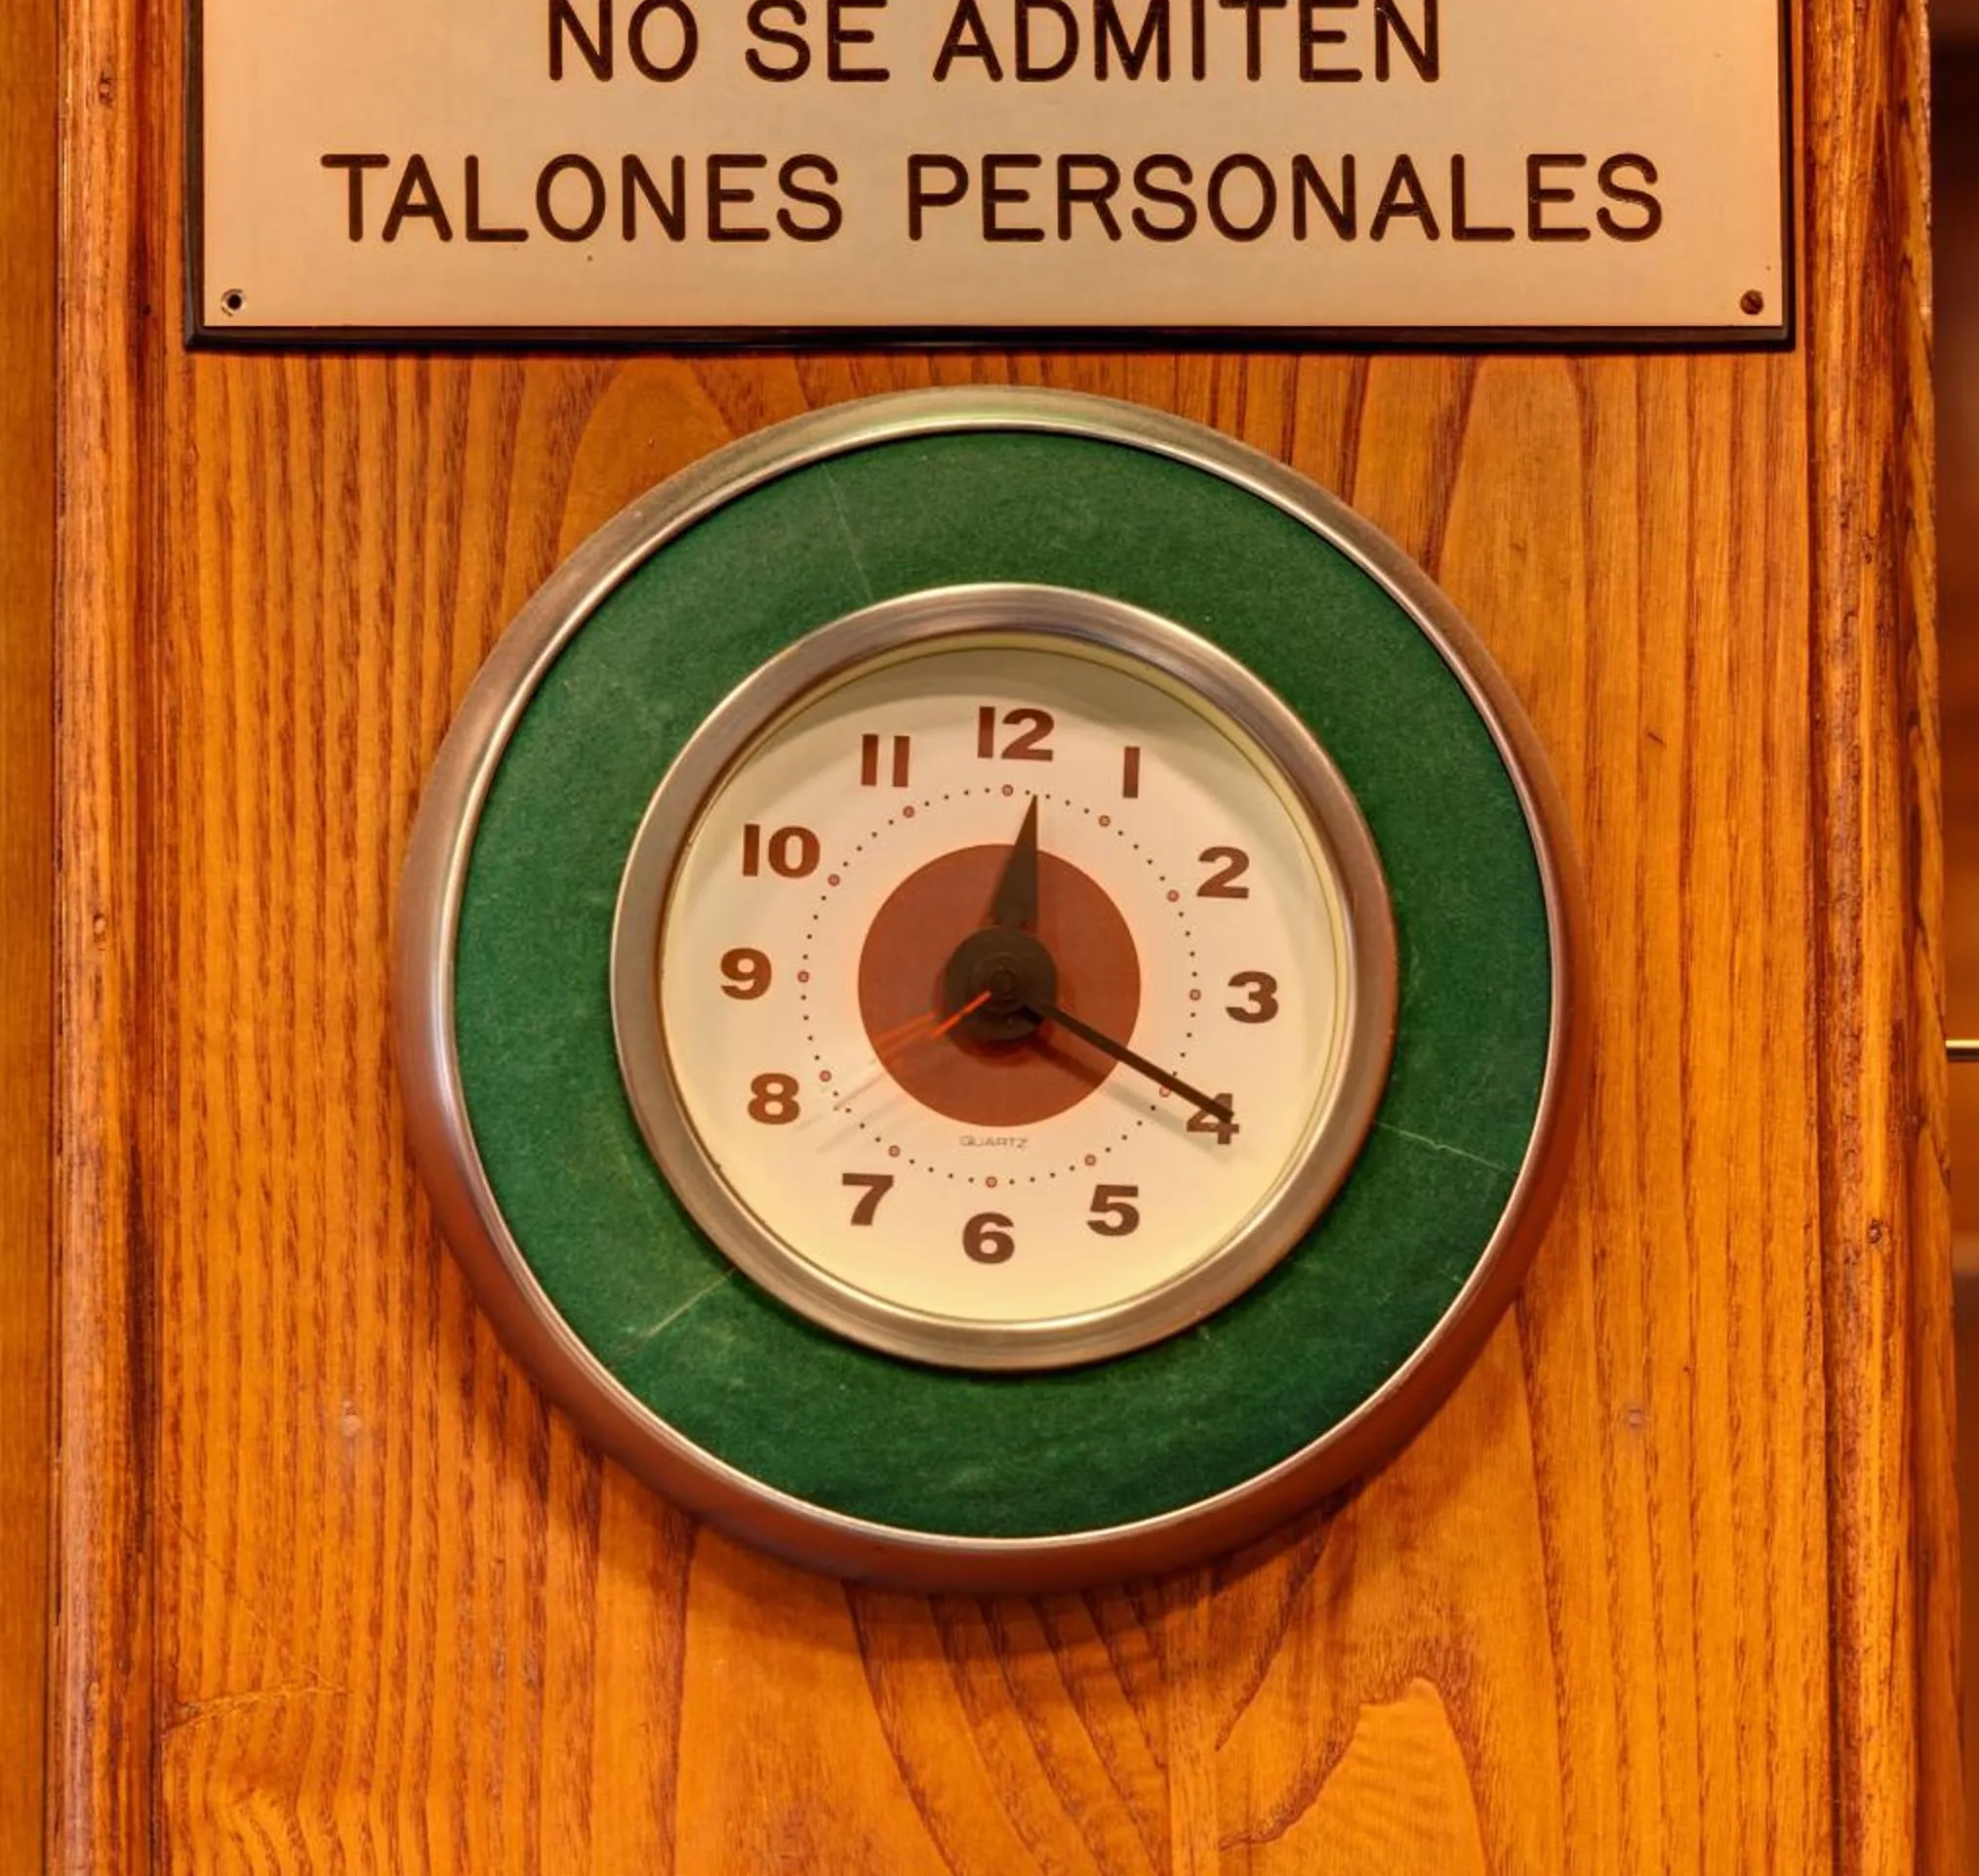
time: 12:19
